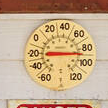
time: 3:17
